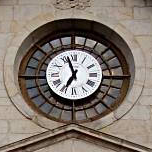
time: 6:56
